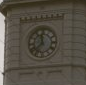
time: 11:37
